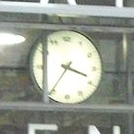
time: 3:36
